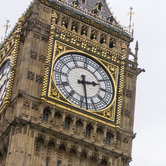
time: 2:28
